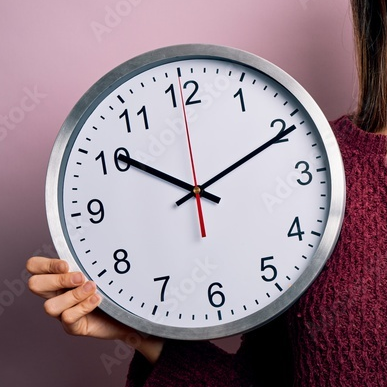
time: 10:10
